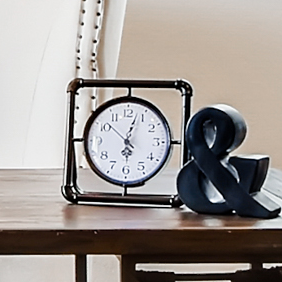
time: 6:03
